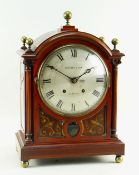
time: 1:50
